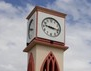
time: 9:16
